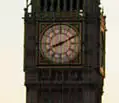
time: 8:10
